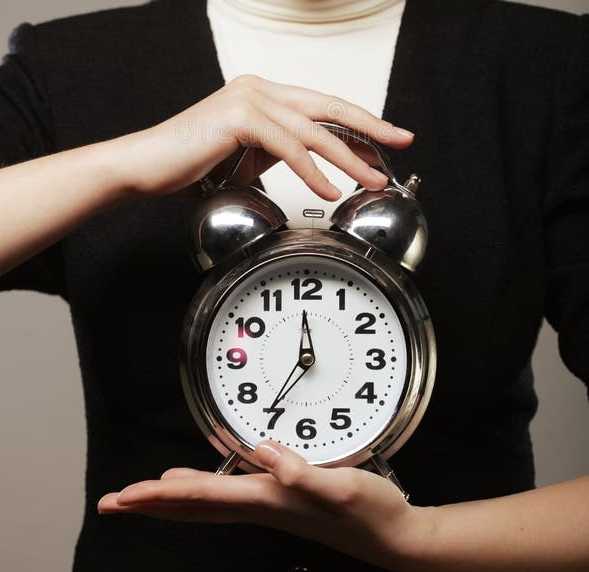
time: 11:35
